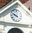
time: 9:48
